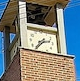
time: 2:36
